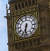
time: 6:32
